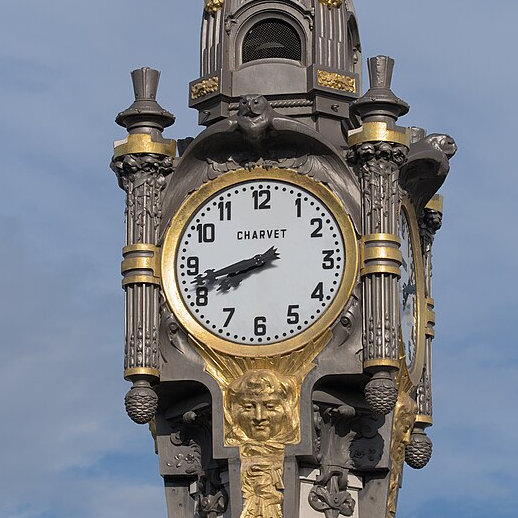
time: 7:42
